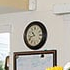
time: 10:42
